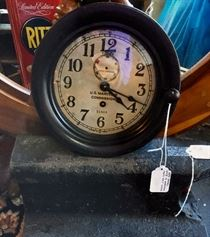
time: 4:18
